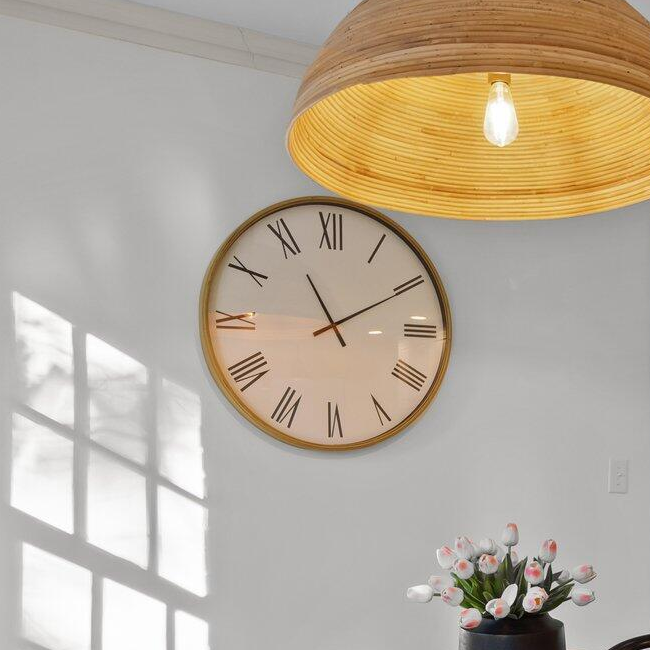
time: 11:10
